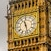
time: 11:28
